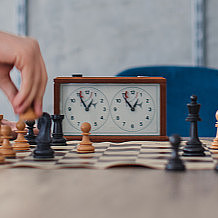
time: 12:55
